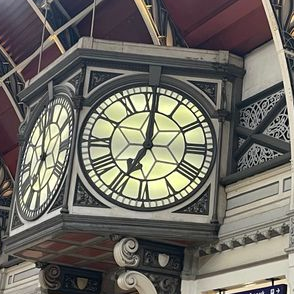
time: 7:00
